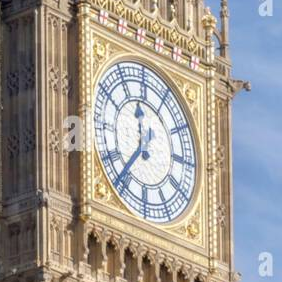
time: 11:36
